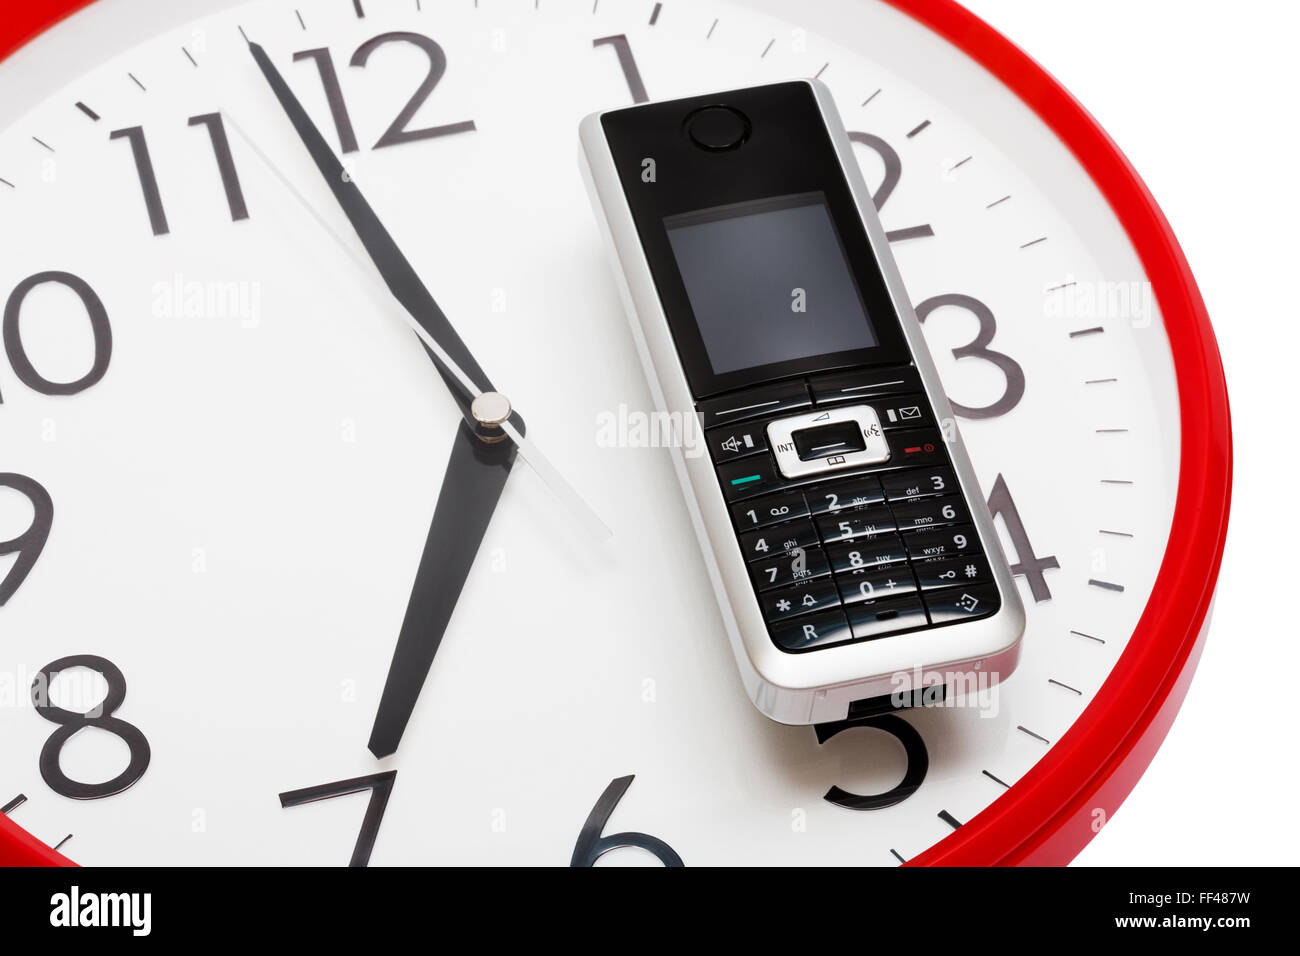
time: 6:58
